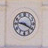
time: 9:20
